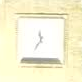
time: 11:35
